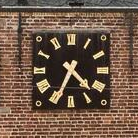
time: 4:34
